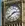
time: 2:38
